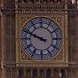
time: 9:48
